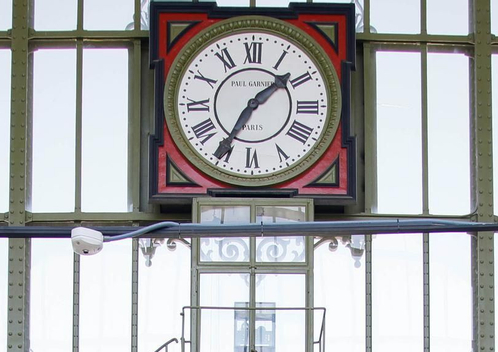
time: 1:34
